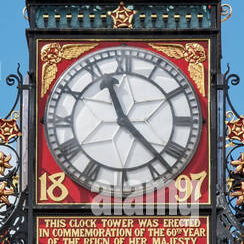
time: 11:22
